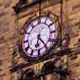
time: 6:24
